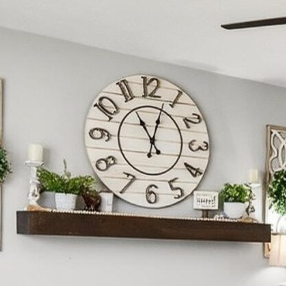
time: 11:03
